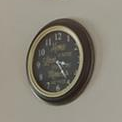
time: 3:24
